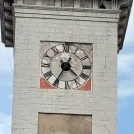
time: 4:35
